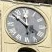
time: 3:51
